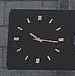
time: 10:16
